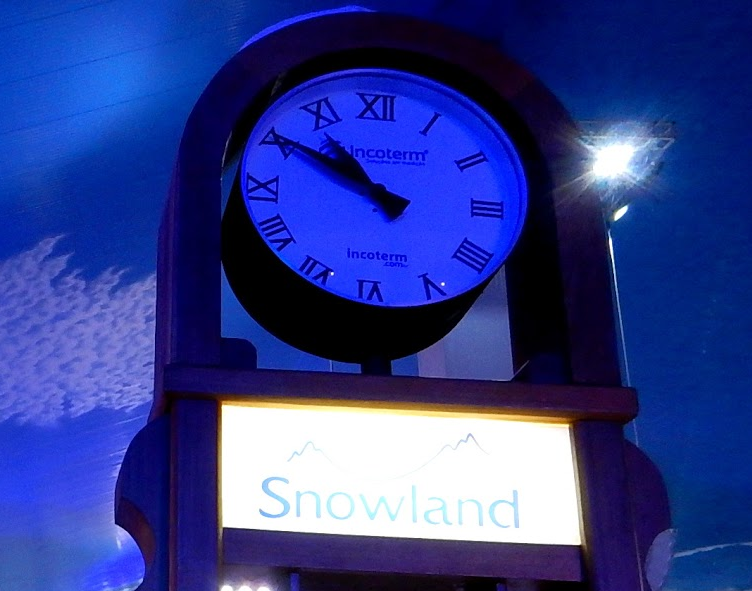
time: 10:50
